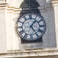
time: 1:24
